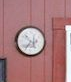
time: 4:52
